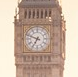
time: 6:48
